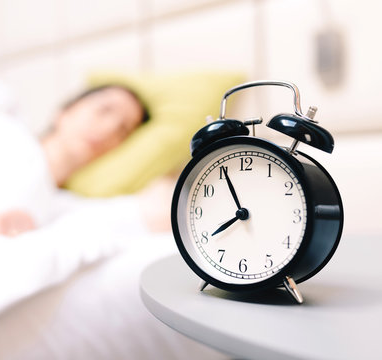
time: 7:55
